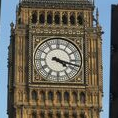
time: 4:17
